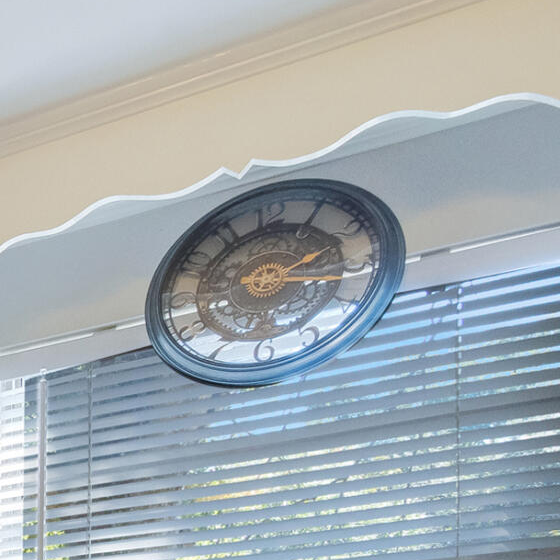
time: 2:16
